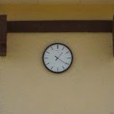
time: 1:20
